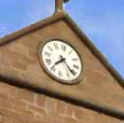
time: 7:21
